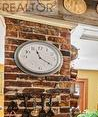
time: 11:21
